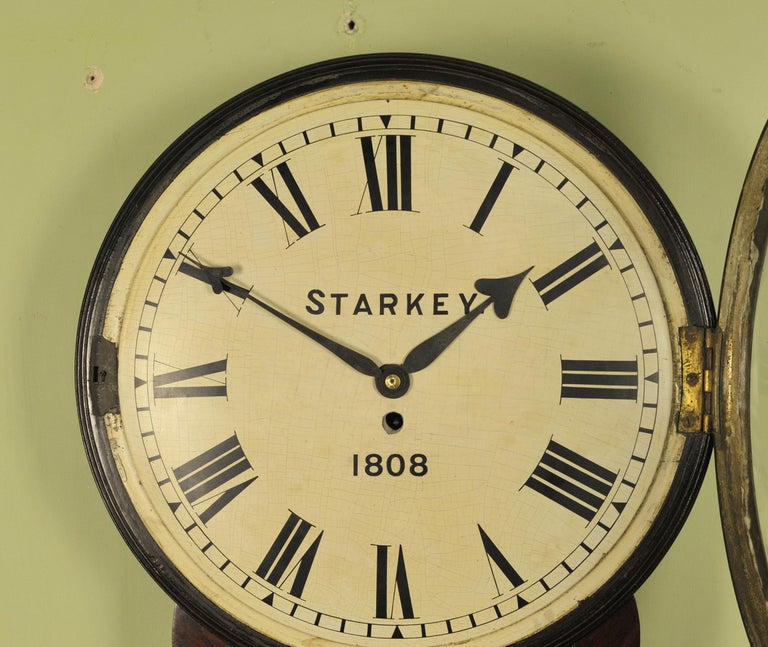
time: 1:50
